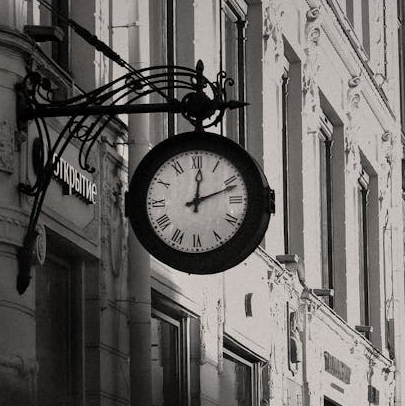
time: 12:11
